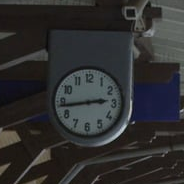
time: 2:43
